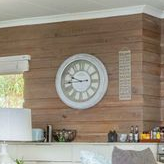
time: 9:43
